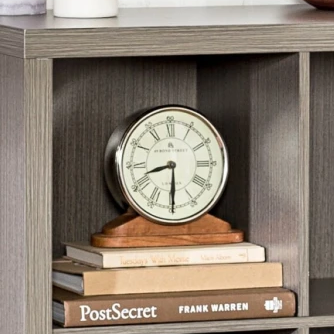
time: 8:30
